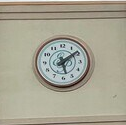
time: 5:08
